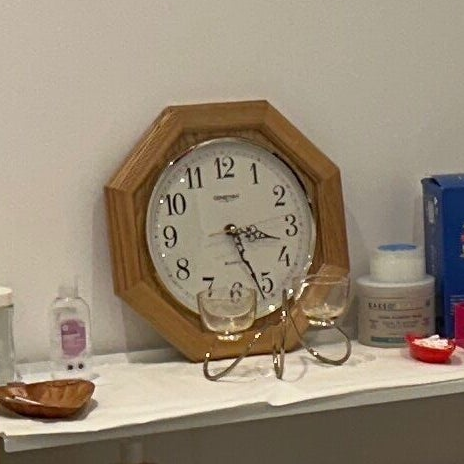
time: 3:26
